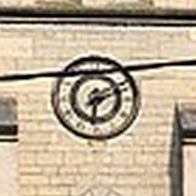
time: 6:11
